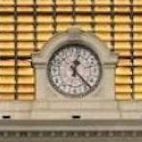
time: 12:22
